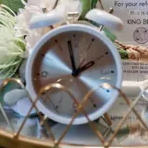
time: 1:58
